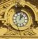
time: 1:01
